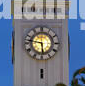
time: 5:47
